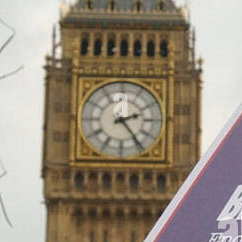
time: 2:24
